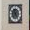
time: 7:24
